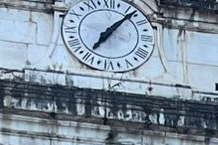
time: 7:07
